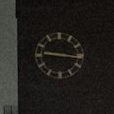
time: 9:16
